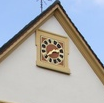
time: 2:38
